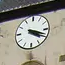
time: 4:18
